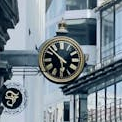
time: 5:51
